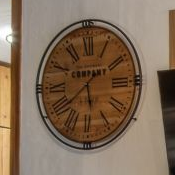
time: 5:38
